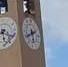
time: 5:40
